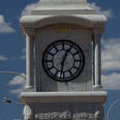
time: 12:31
